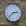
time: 2:37
